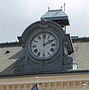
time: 2:00
